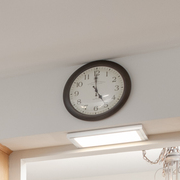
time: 4:59
